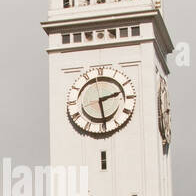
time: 2:28
